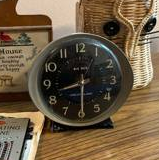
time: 8:29
